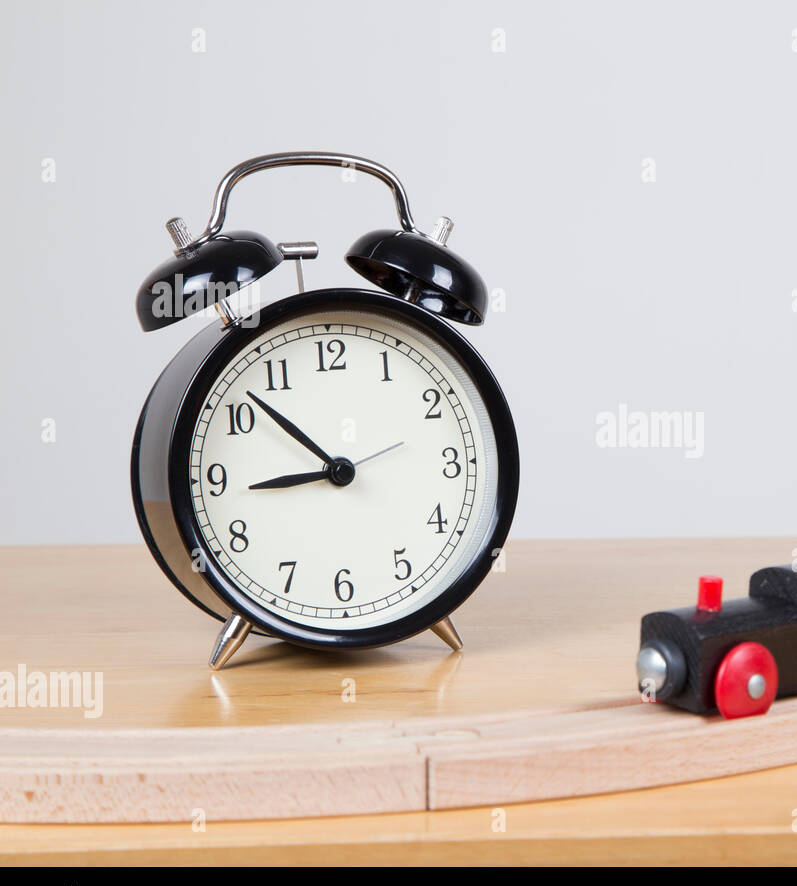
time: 8:52
